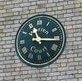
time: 11:15
